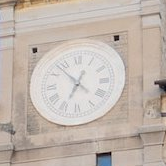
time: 12:52
